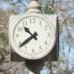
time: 10:39
